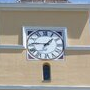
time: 1:46
